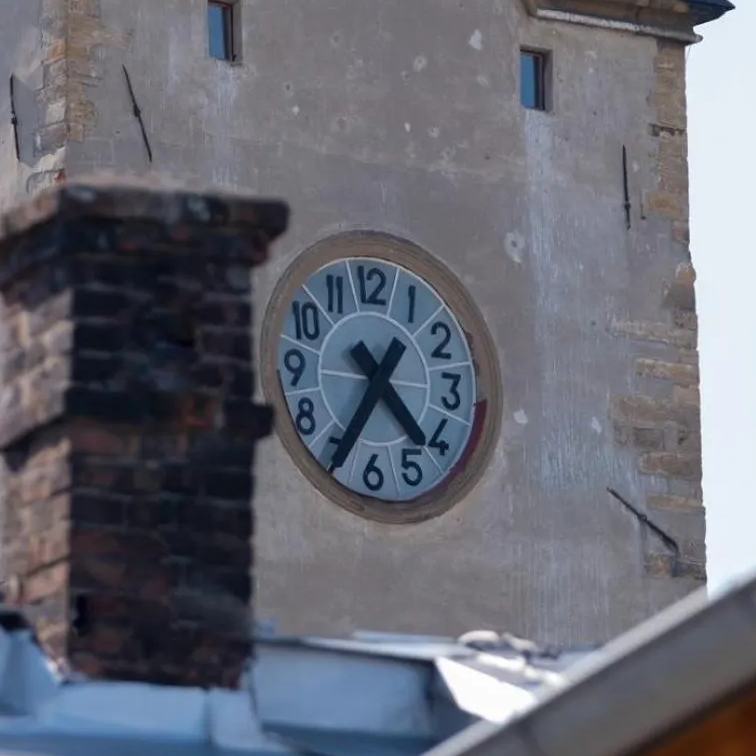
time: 4:35
